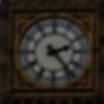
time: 2:23
